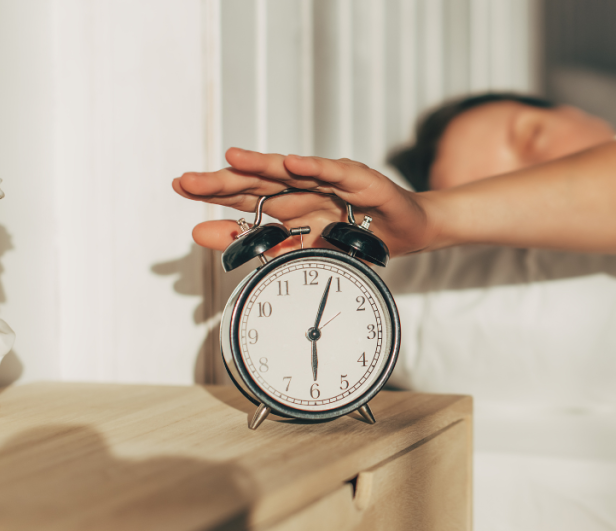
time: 6:03
